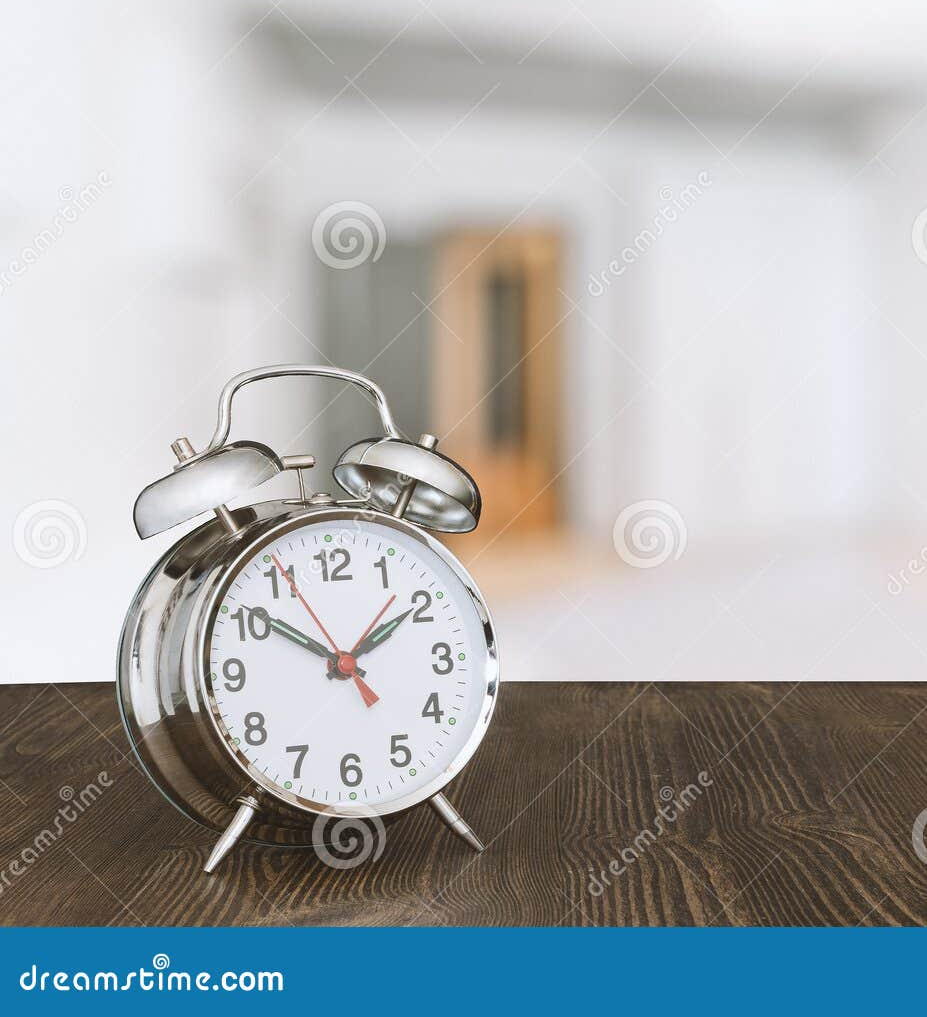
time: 1:50
